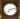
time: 7:12
